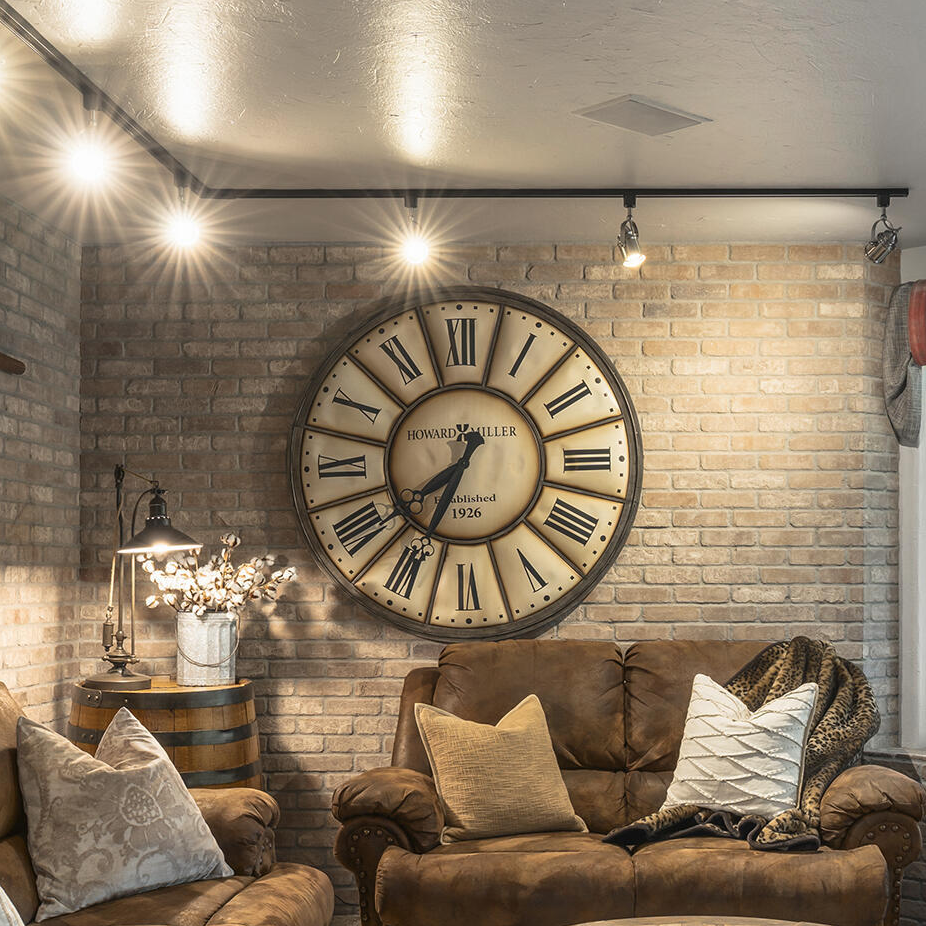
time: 7:34
